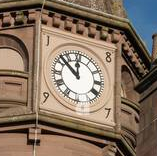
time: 11:52
